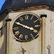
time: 3:48
